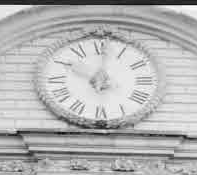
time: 10:00
